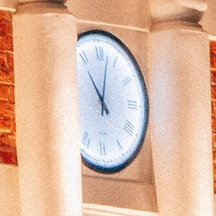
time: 11:02
